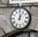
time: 12:05
